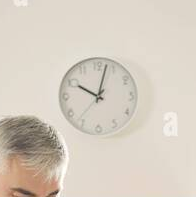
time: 10:02
